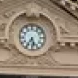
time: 5:35
